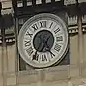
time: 4:36
